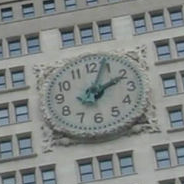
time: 2:03
